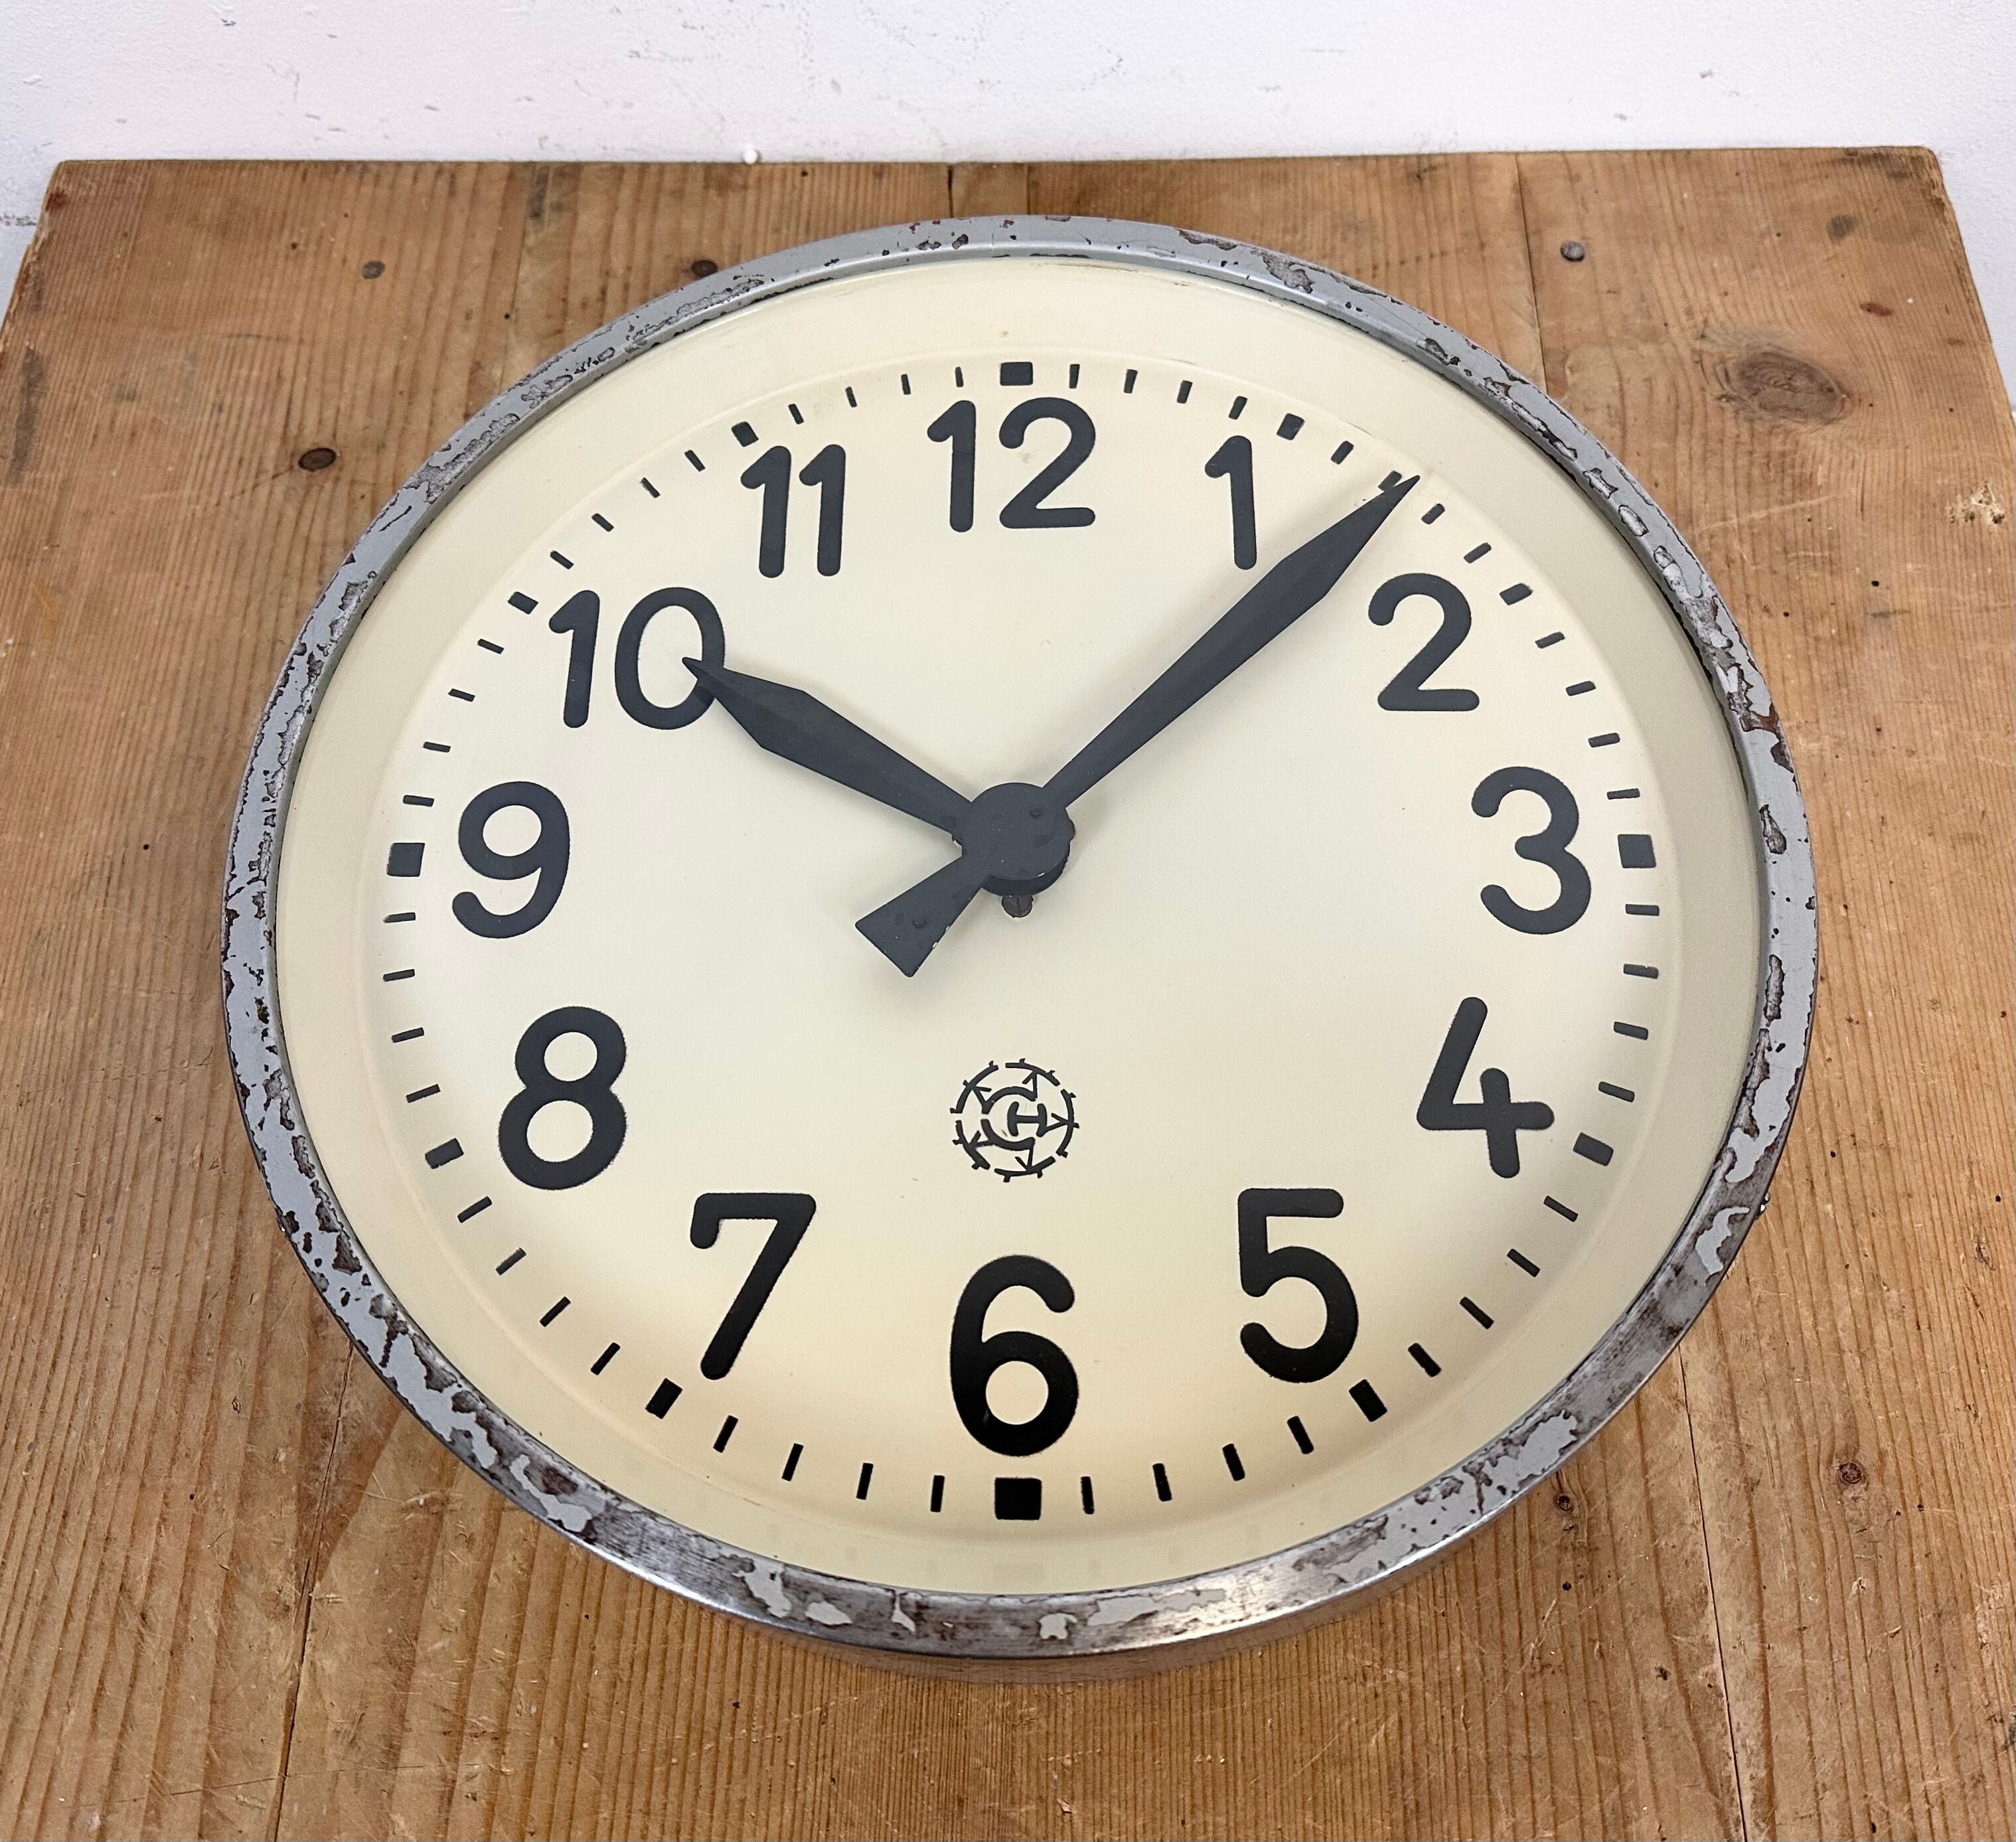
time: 10:07
